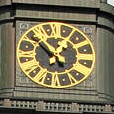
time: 12:52
